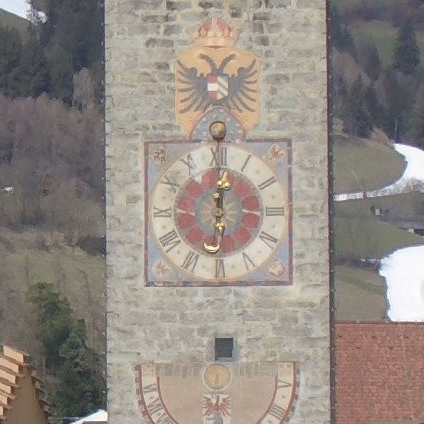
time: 6:00
